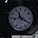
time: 11:19
